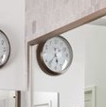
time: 5:36
